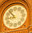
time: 8:53
